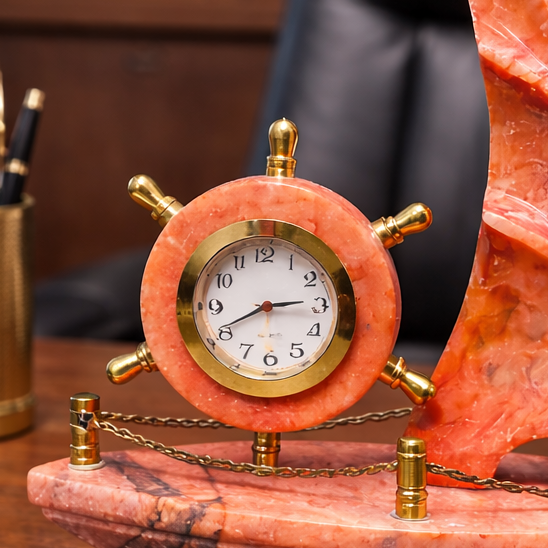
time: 2:40
